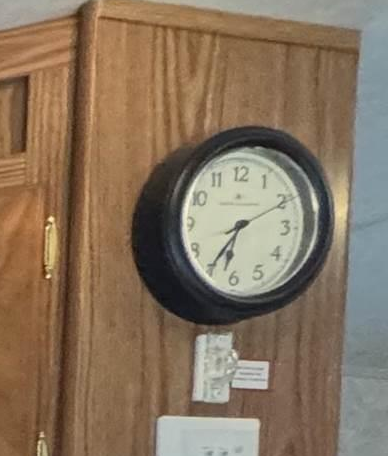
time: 6:35
